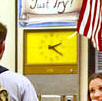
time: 2:21
